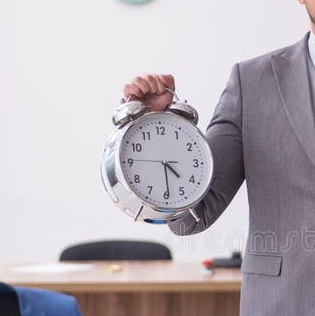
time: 4:29
